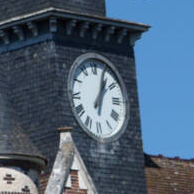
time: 1:03
